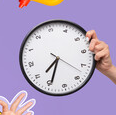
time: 7:34
